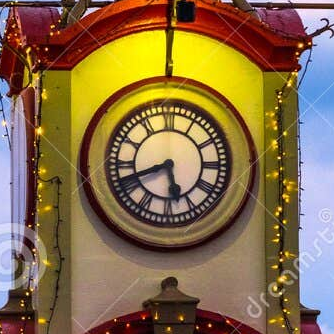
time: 5:41
